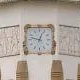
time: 12:47
